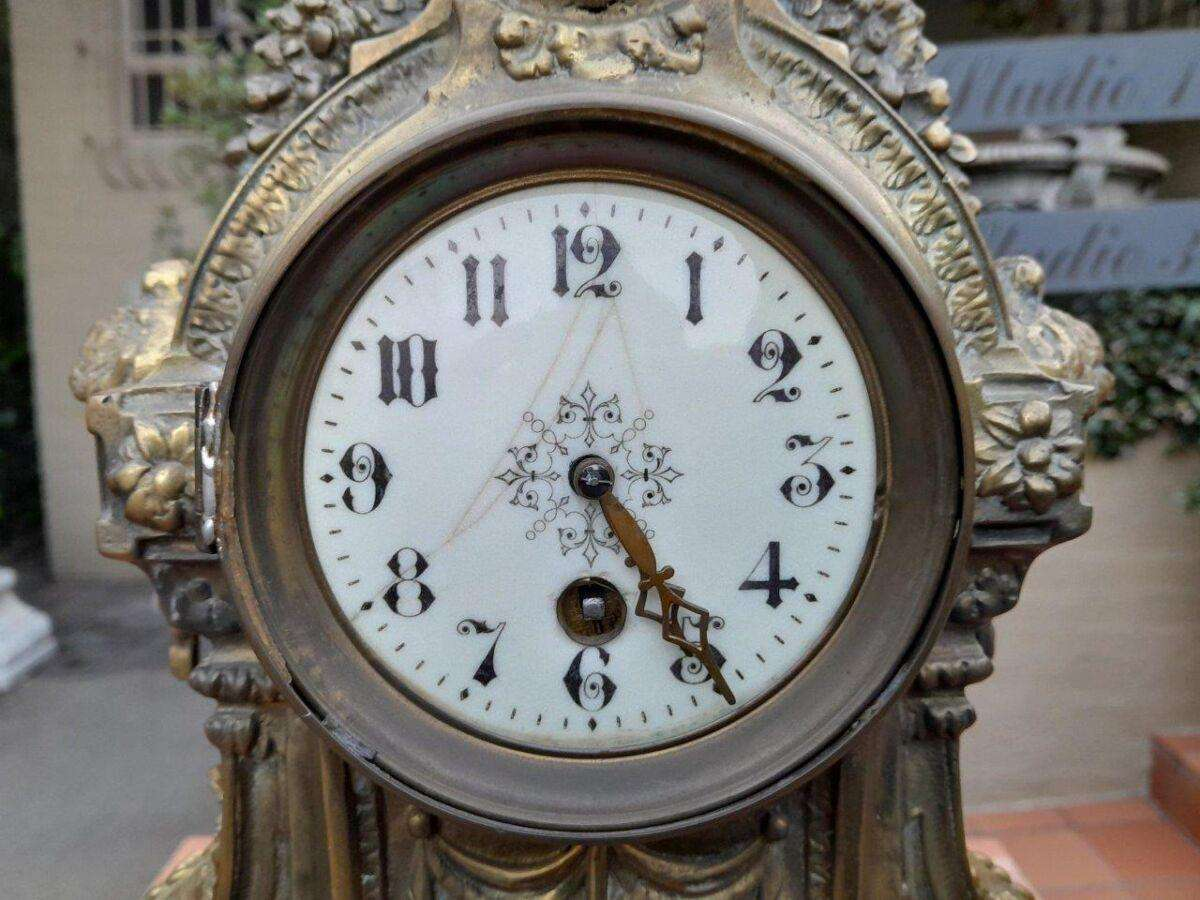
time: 4:24
